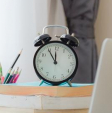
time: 11:55
